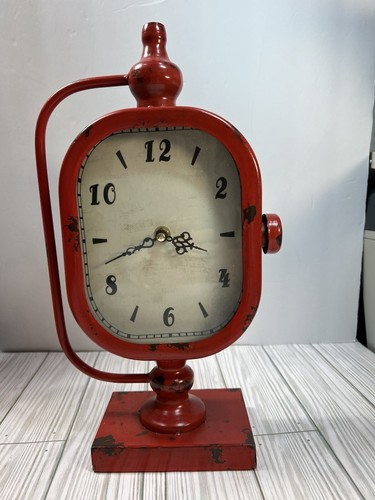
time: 3:42
